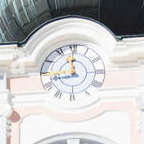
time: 11:42
